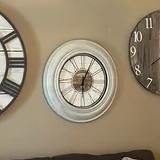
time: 6:04
